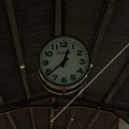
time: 12:38
